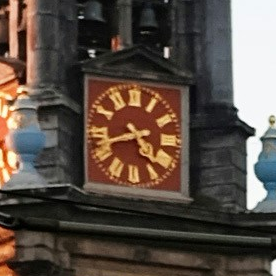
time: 4:42
